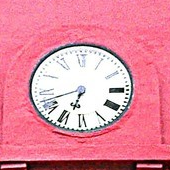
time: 6:41
